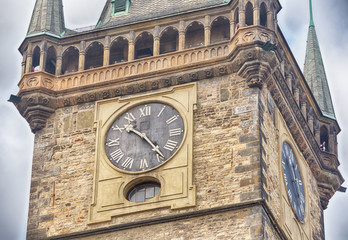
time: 10:23
